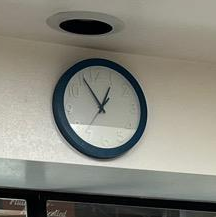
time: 12:55
